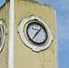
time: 7:07
